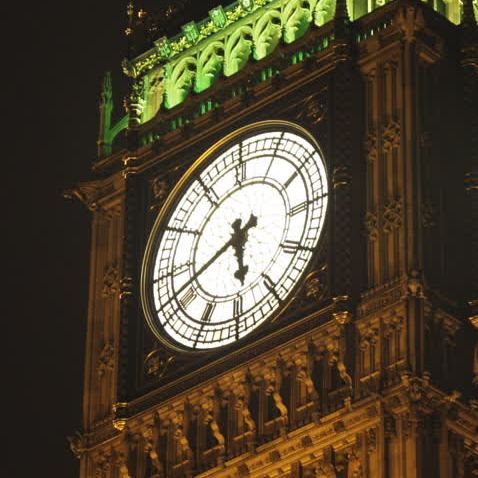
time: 5:41
